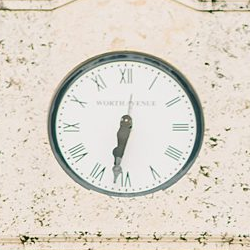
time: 6:31
